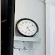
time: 5:11
